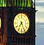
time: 7:25
